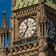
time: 11:36
